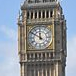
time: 11:50
